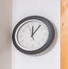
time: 12:06
